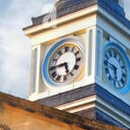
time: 5:44
